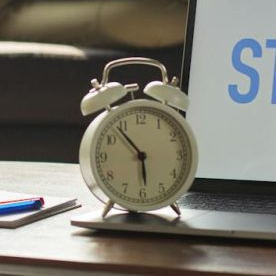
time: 5:53
